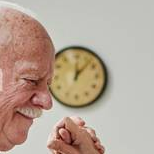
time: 12:06
